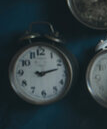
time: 9:12
